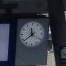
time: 11:38
